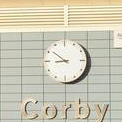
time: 8:51
